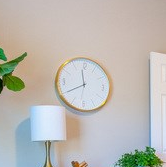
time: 11:40
